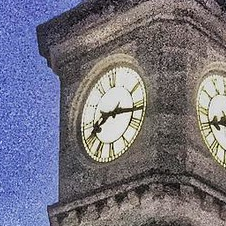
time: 8:16
